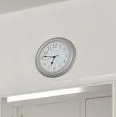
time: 6:46
